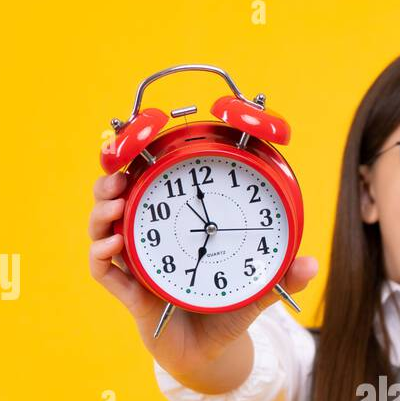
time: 6:59
